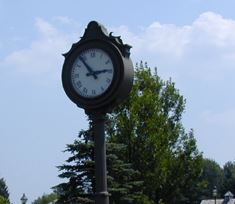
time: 2:53
